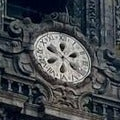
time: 11:48
